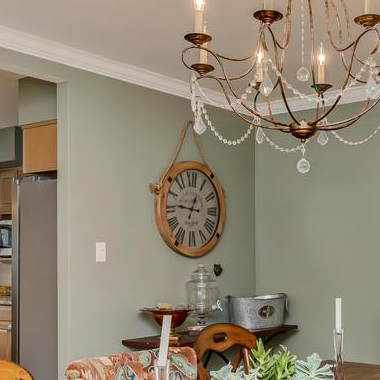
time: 12:46
